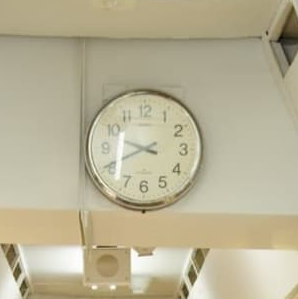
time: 9:40
